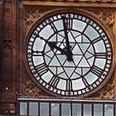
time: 9:57
